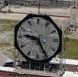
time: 9:25
